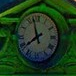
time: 7:57
